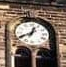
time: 12:40
